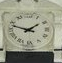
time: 1:47
